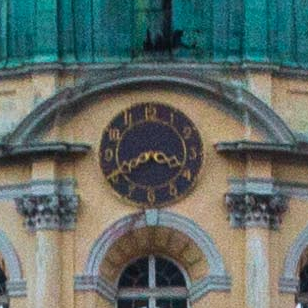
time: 3:40
